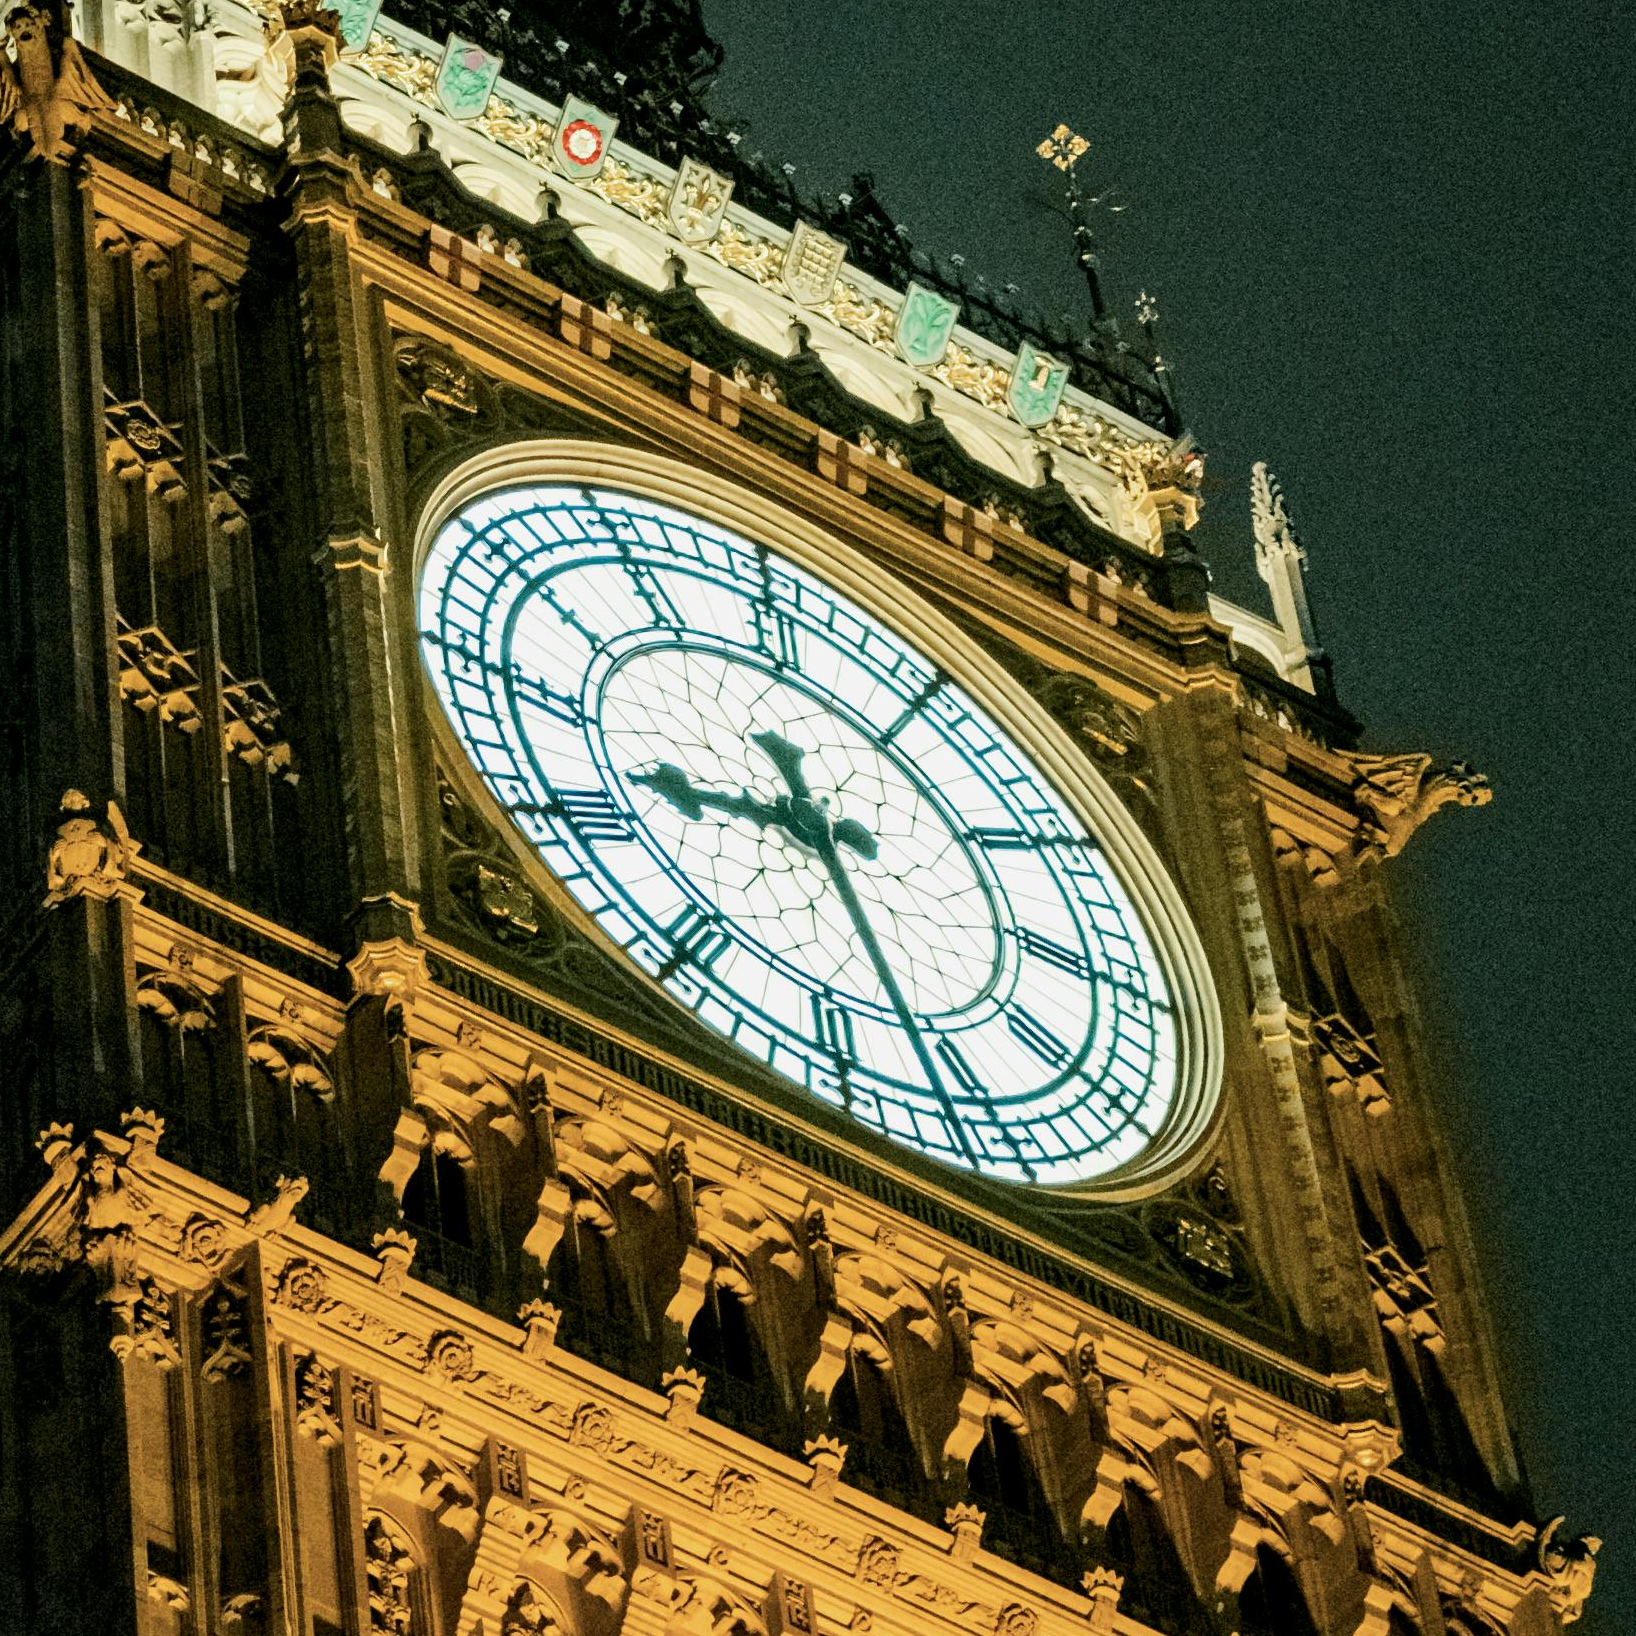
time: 8:26
